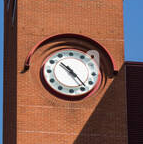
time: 10:23
